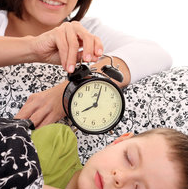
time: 8:02
